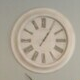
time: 1:05
